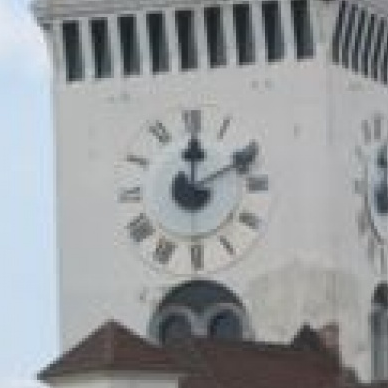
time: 12:10
